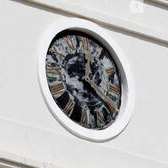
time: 12:19
